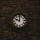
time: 10:00
